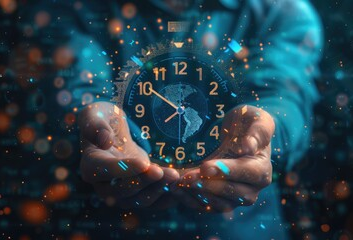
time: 7:50
